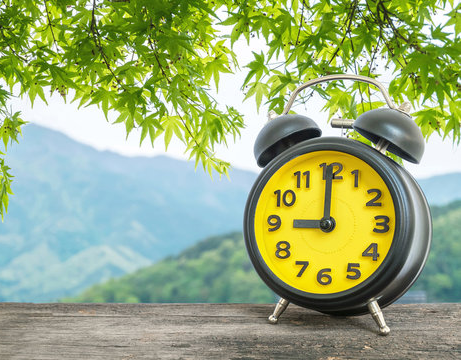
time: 9:00
